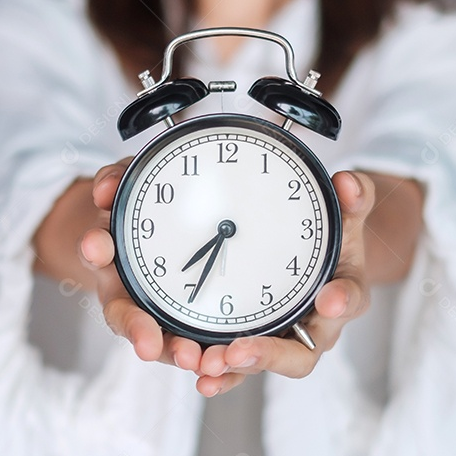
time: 7:34
